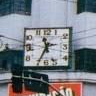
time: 11:34
